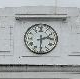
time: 2:30
